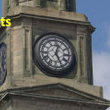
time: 12:24
